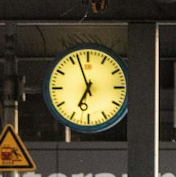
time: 6:56
